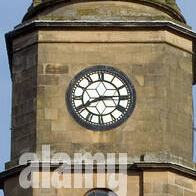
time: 8:14
